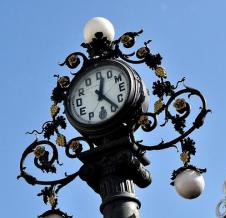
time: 12:23
